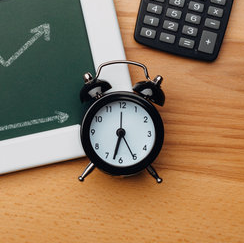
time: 6:32
